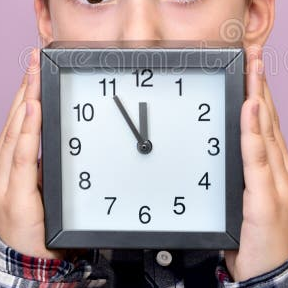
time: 11:54
